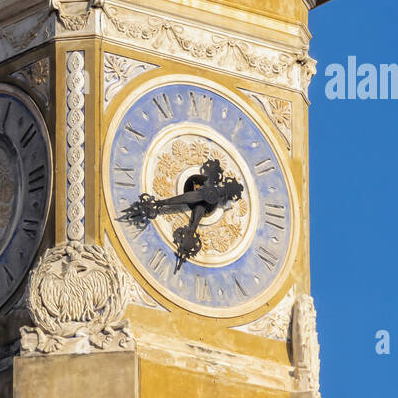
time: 6:41
